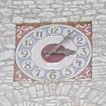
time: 3:06
